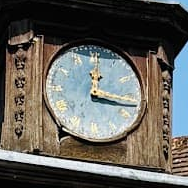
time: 12:16
